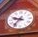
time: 9:36
